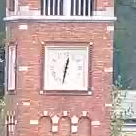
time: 12:32
